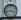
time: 3:43
